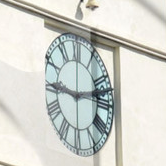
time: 9:12
